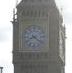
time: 8:21
